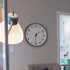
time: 1:31
